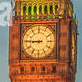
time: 8:45
